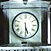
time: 5:29
